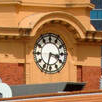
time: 3:32
